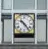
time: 10:23
